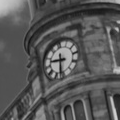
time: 9:31
